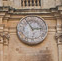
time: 2:56
